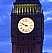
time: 9:48
